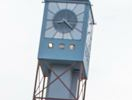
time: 4:14
